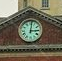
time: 3:01
